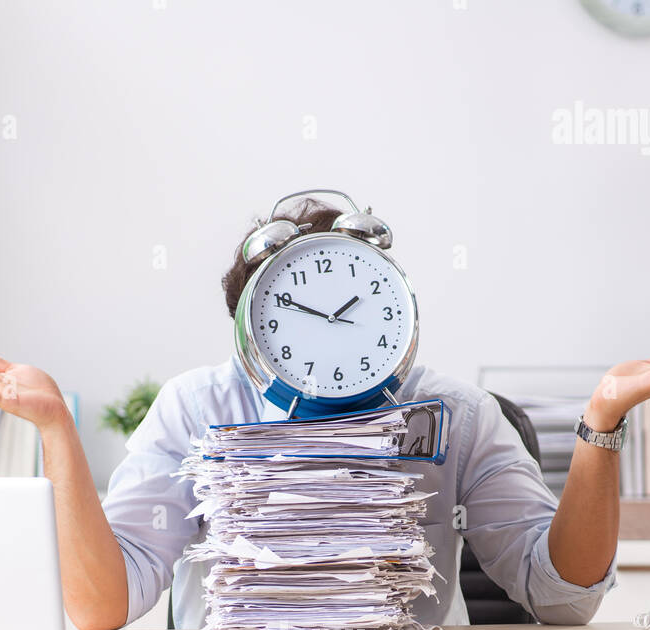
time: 1:50
